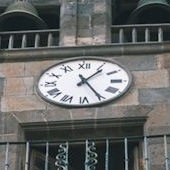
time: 1:25
